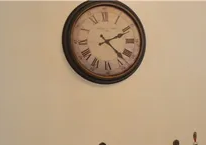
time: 2:22
